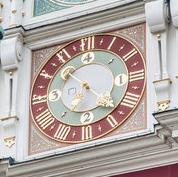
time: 6:52
